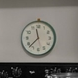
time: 11:37
